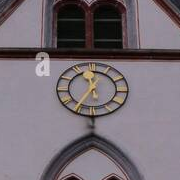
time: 11:35
